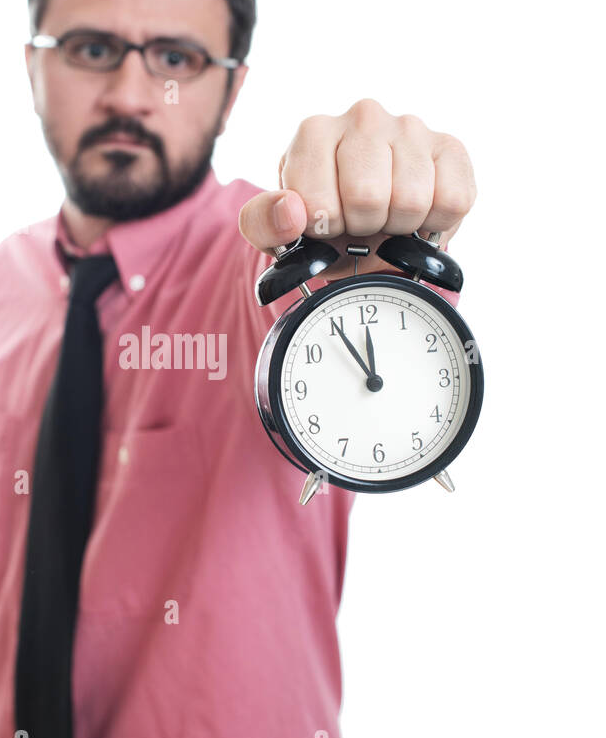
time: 11:54
